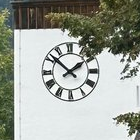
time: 1:51
